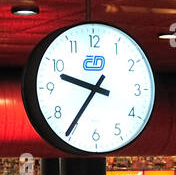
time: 9:35
